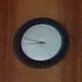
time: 8:47
